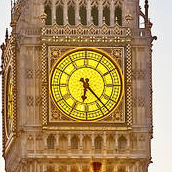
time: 6:23
